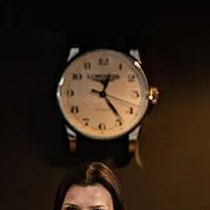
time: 12:23
